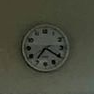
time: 7:20
